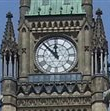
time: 11:52
